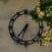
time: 6:36
